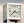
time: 3:37
